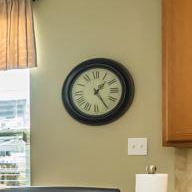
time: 1:24
